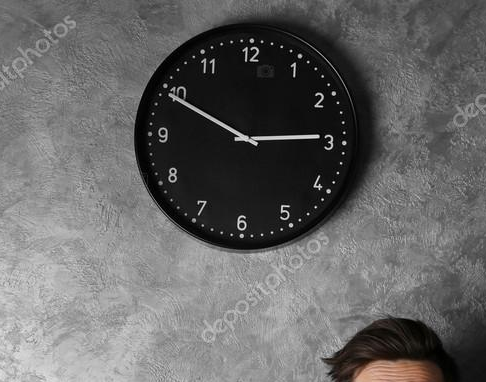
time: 2:49
